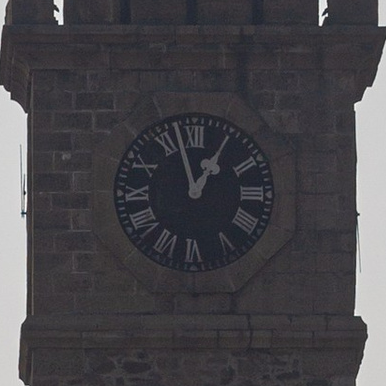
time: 12:57
